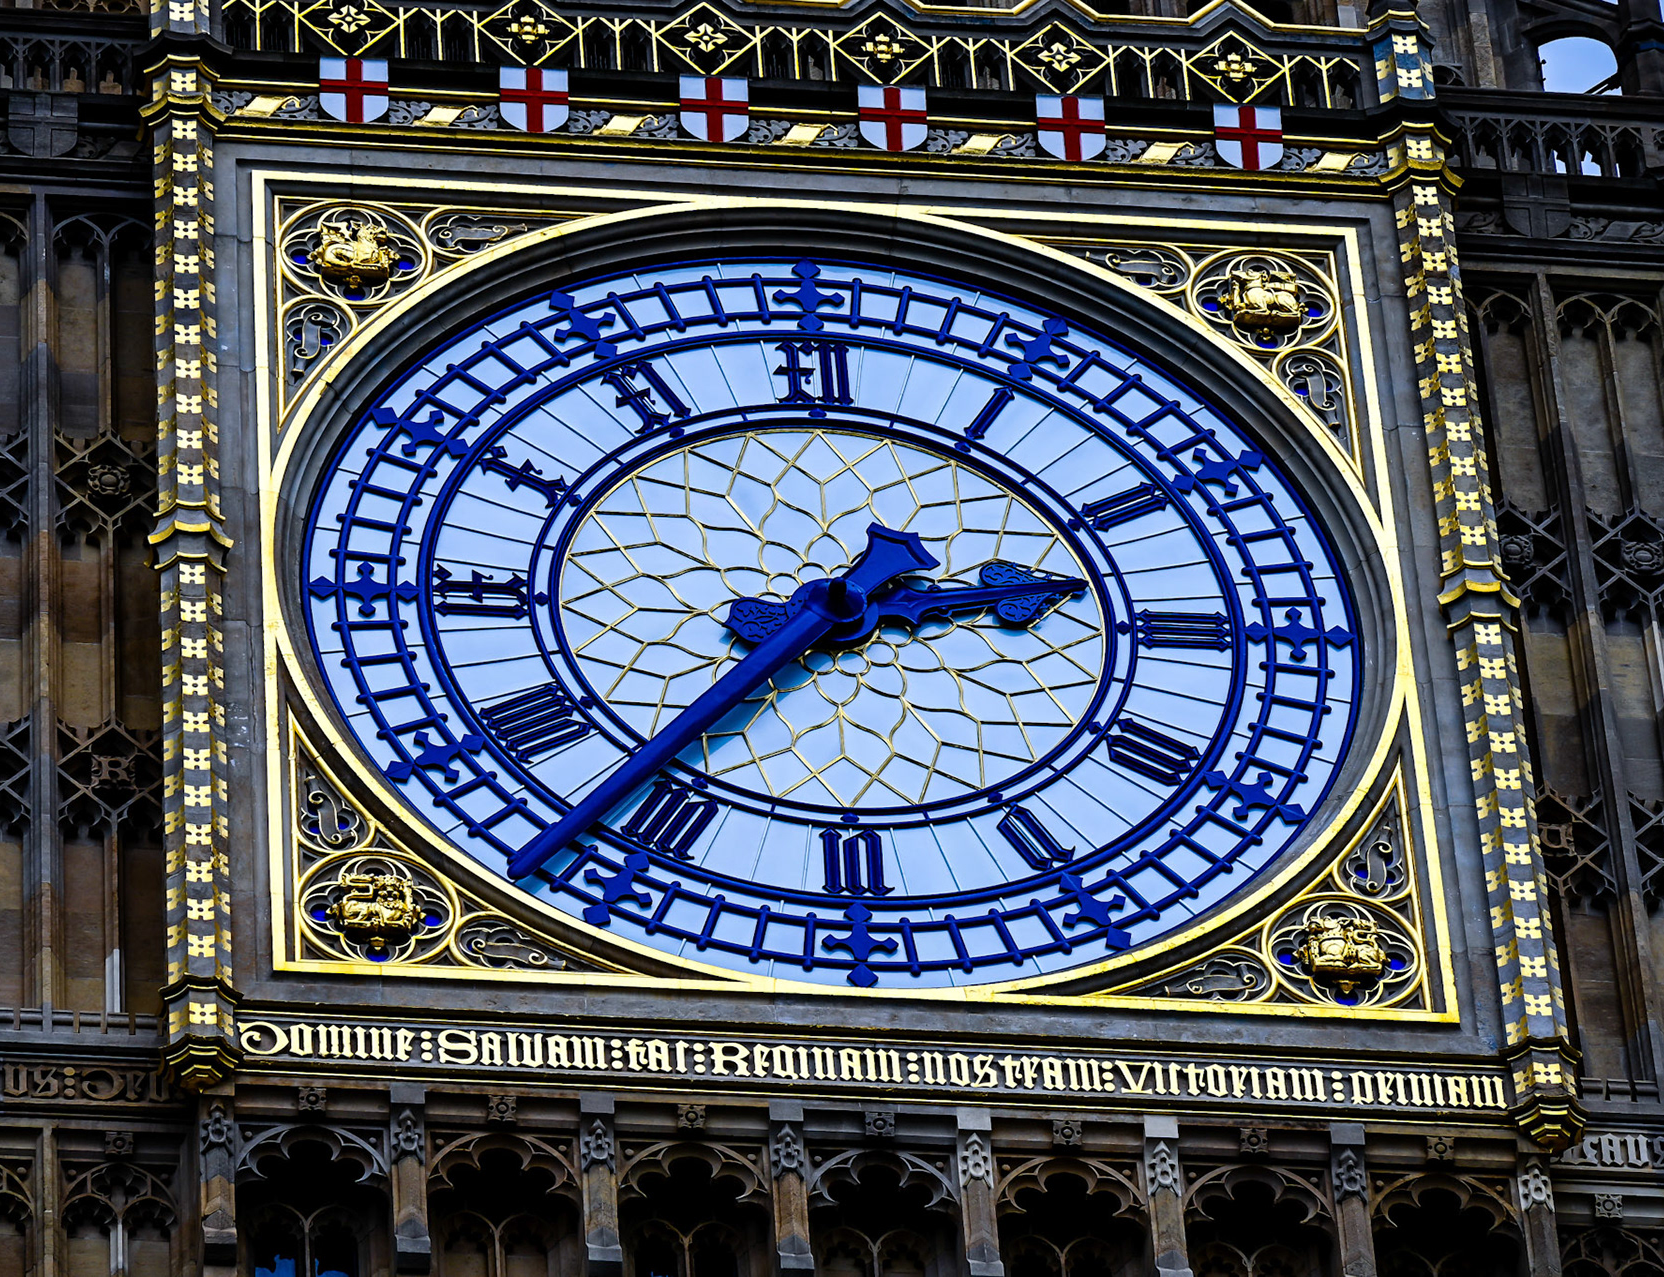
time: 2:36
